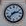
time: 2:37
